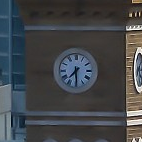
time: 7:29
